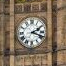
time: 2:18
